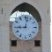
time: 9:02
